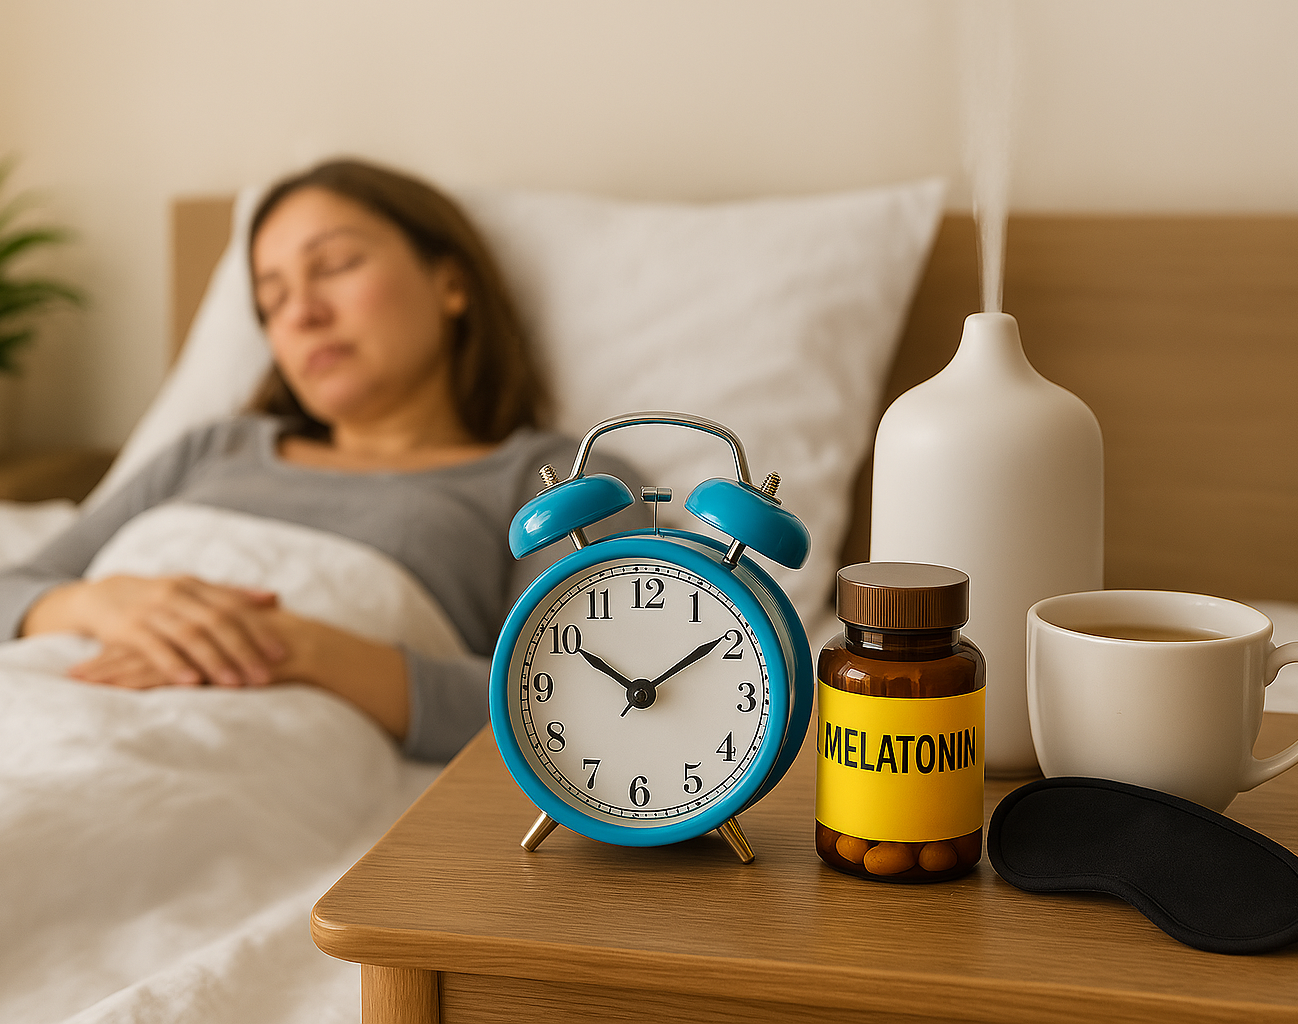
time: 10:09
